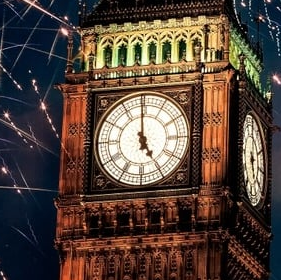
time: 4:59
